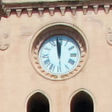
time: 11:58
